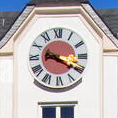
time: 9:20
